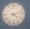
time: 4:12
